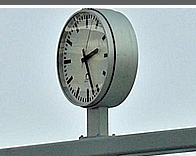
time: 2:27
